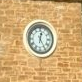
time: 12:24
